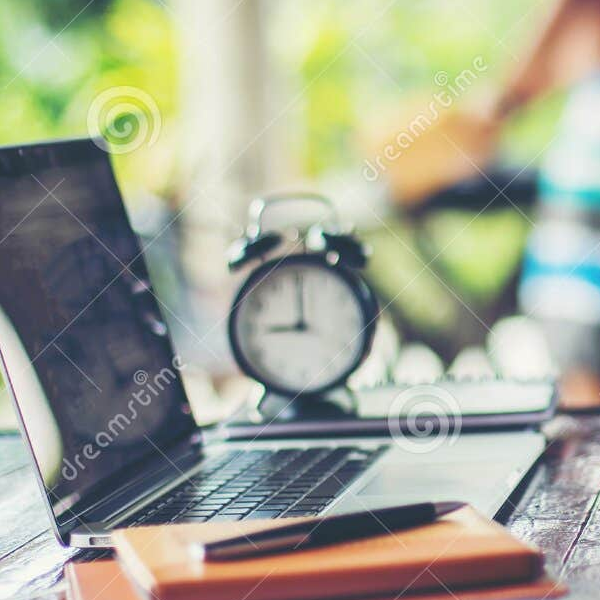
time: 9:00
